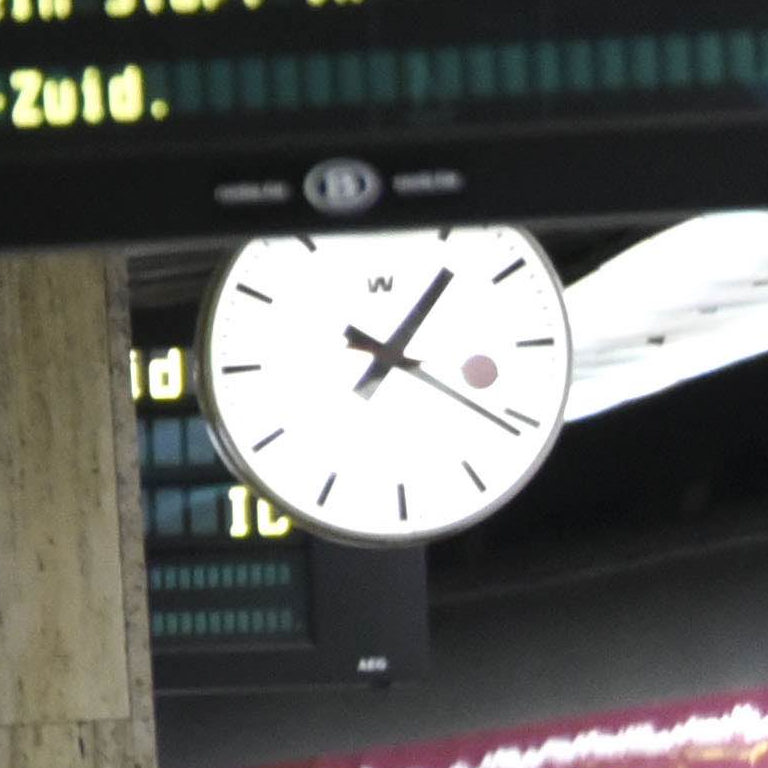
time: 1:20
